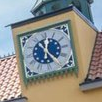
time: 12:24
